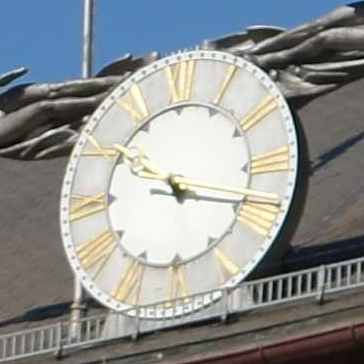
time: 10:18
